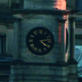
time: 4:13
